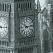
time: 10:13
